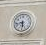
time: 5:42
